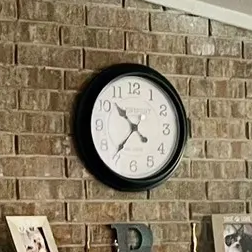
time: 10:36
